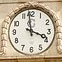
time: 3:58
